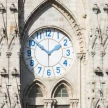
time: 1:51
